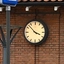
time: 3:52
